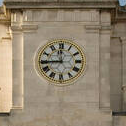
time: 11:44
